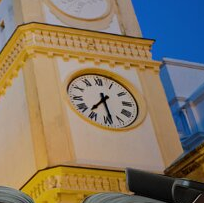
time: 7:28
